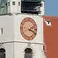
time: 2:18
